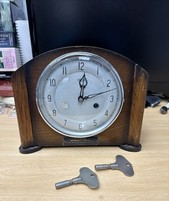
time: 12:12
